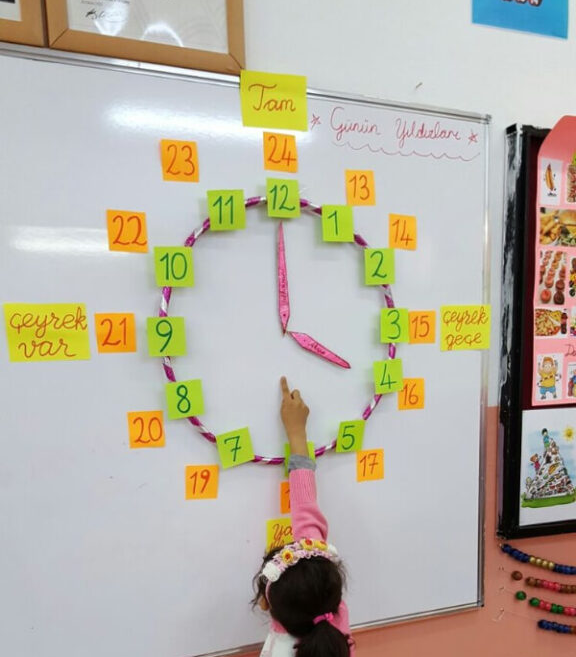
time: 4:00
